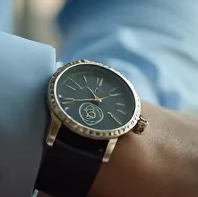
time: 10:43
